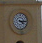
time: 4:14
